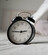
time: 2:45
